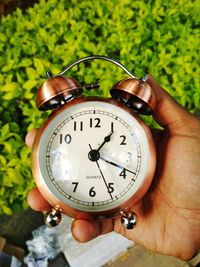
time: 1:18
